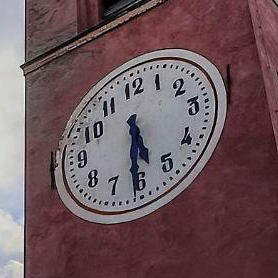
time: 5:30
